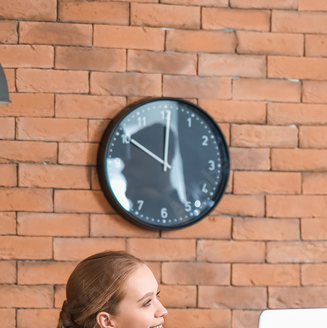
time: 10:00
